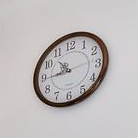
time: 10:44
